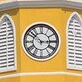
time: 2:52
